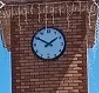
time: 1:50
